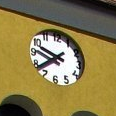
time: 9:38
